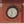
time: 11:32
